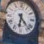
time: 6:23
